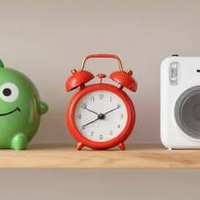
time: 8:10
